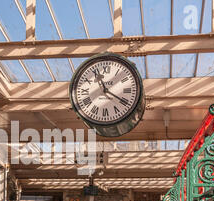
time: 11:20
